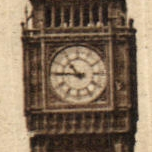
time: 10:45
